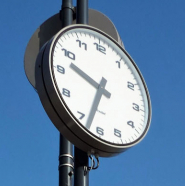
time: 9:32
